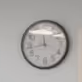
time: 11:43
